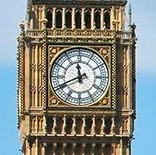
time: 11:41
